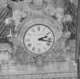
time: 2:17
